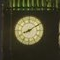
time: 8:09
